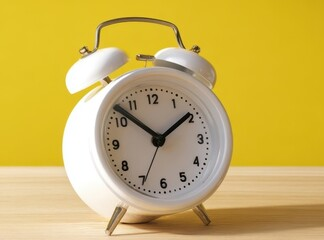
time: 1:52
